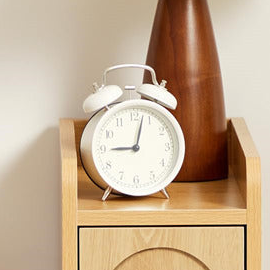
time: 9:02
